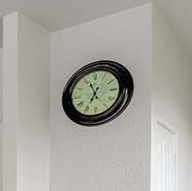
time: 6:56
